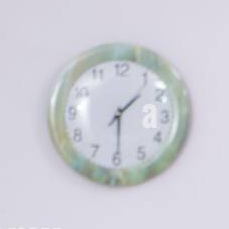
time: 1:29
